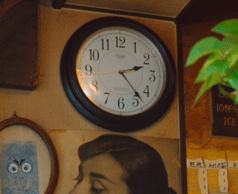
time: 2:23
